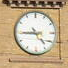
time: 4:44
